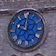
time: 10:01
